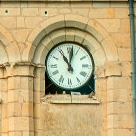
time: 11:01
